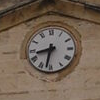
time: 8:32
